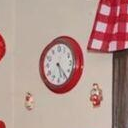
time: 5:23
